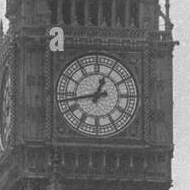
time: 12:43
